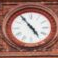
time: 4:54
